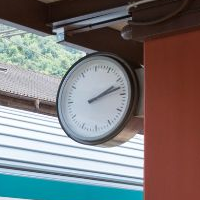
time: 2:12
